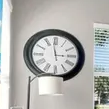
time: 2:58
